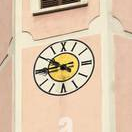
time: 8:50
